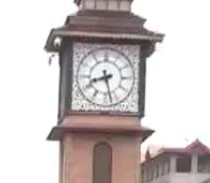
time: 8:27
